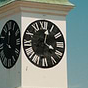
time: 4:02
